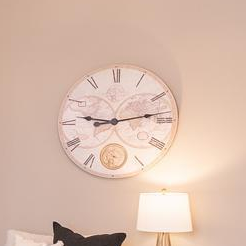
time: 9:13
